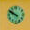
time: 9:50
